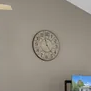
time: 11:23
